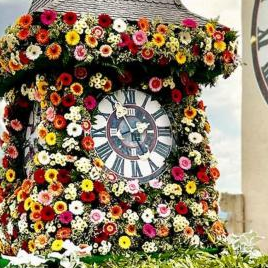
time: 2:25
